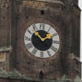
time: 1:52
